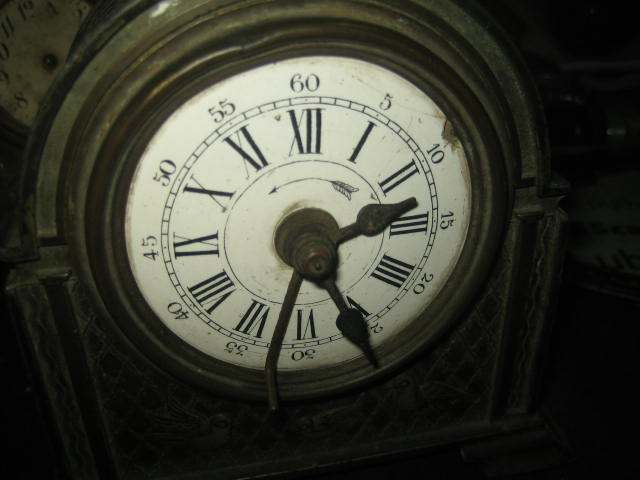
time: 2:32
